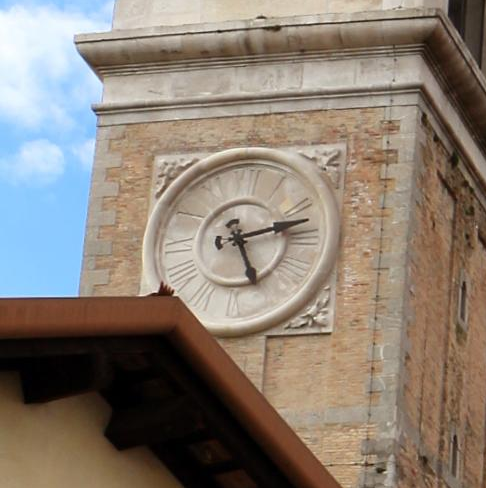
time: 5:12
